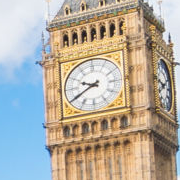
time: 9:40
